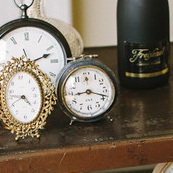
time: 8:18
